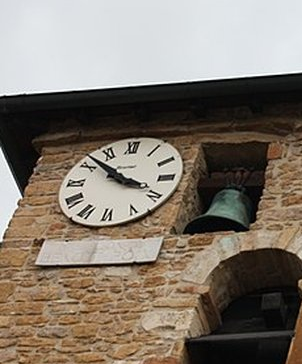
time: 3:51
